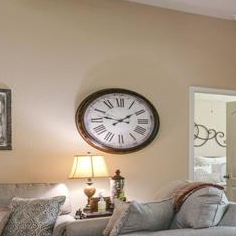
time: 1:47
